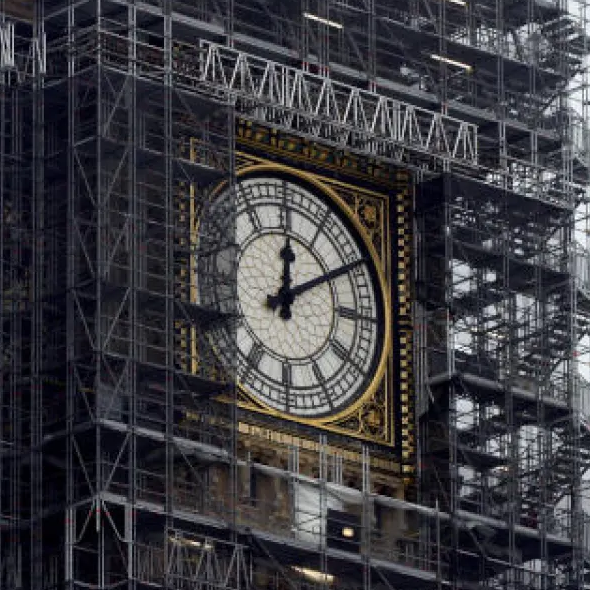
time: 12:09
